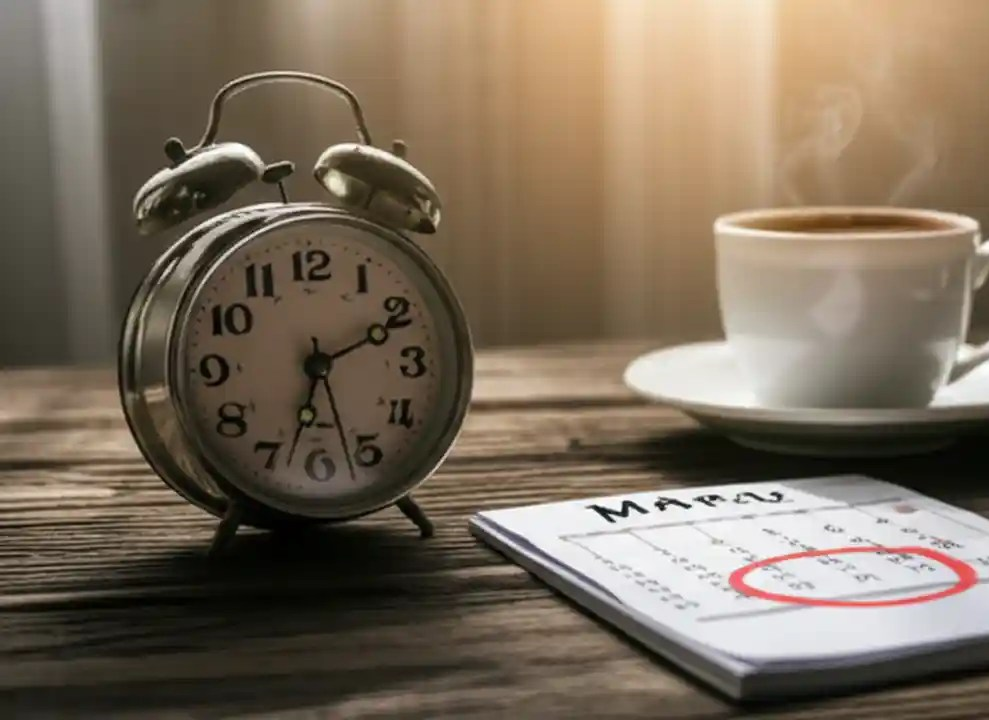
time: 6:10
